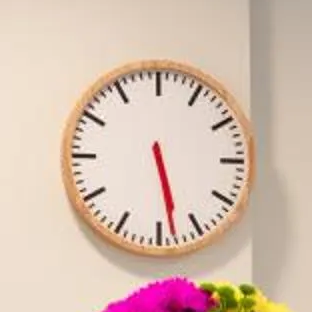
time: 5:28
